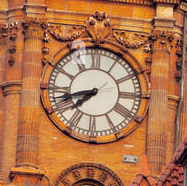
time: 7:42
